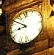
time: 8:50
